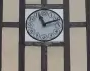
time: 11:11
